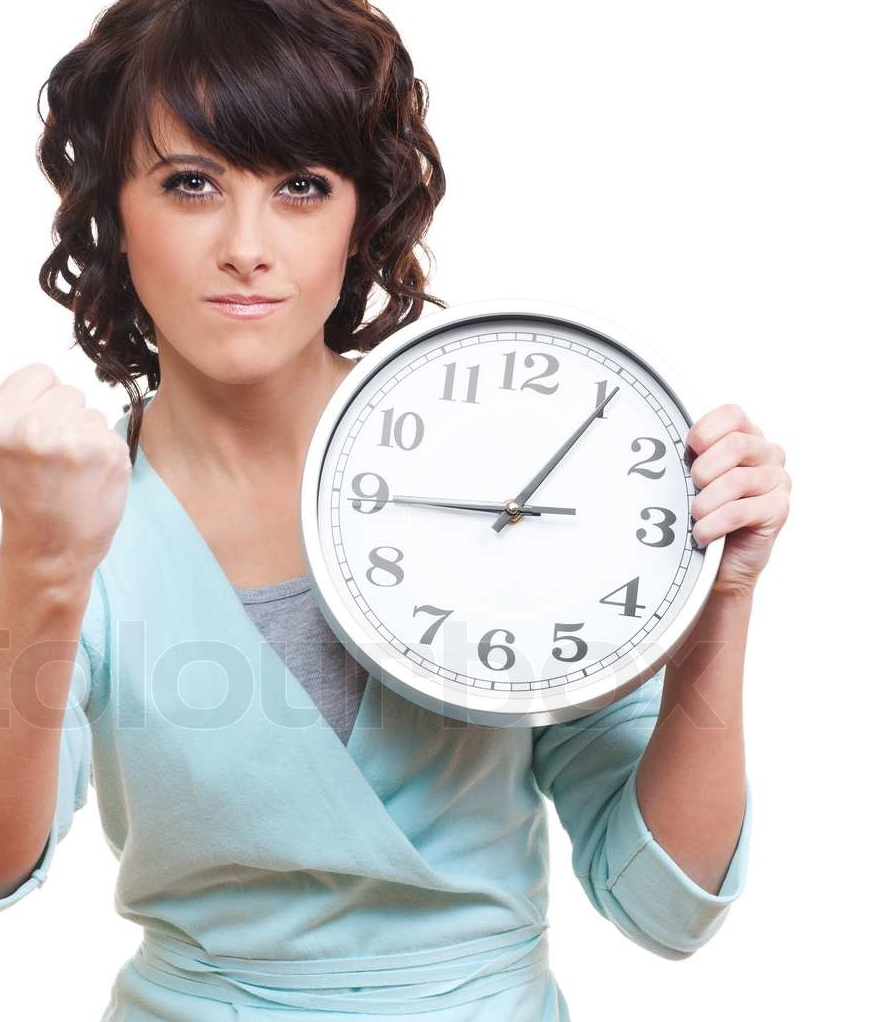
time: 9:05
